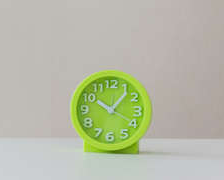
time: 10:06
